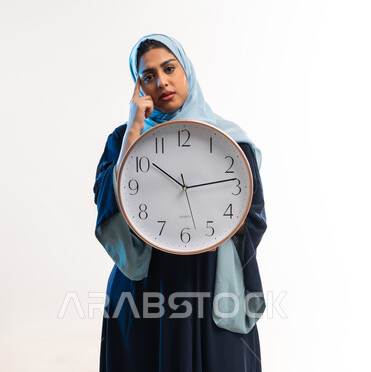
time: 10:13
